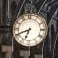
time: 6:41
